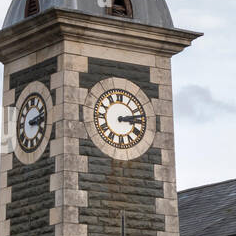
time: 3:12
